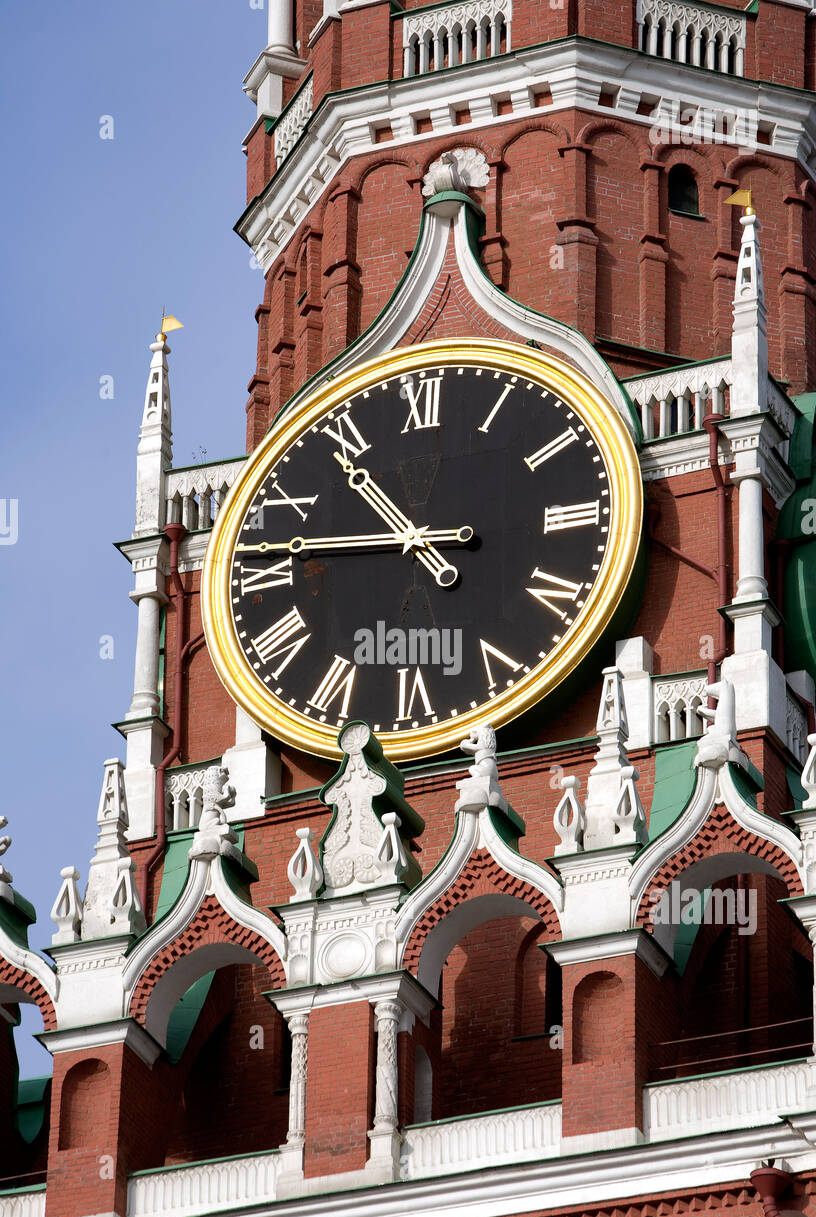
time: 10:46
